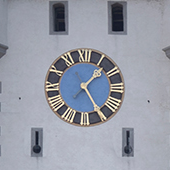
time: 1:24
